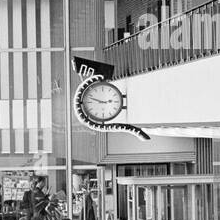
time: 2:48
